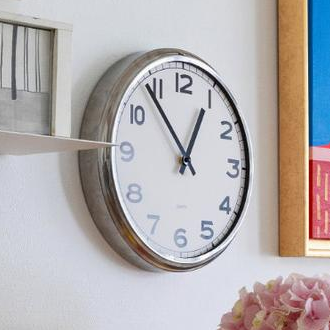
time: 12:53
